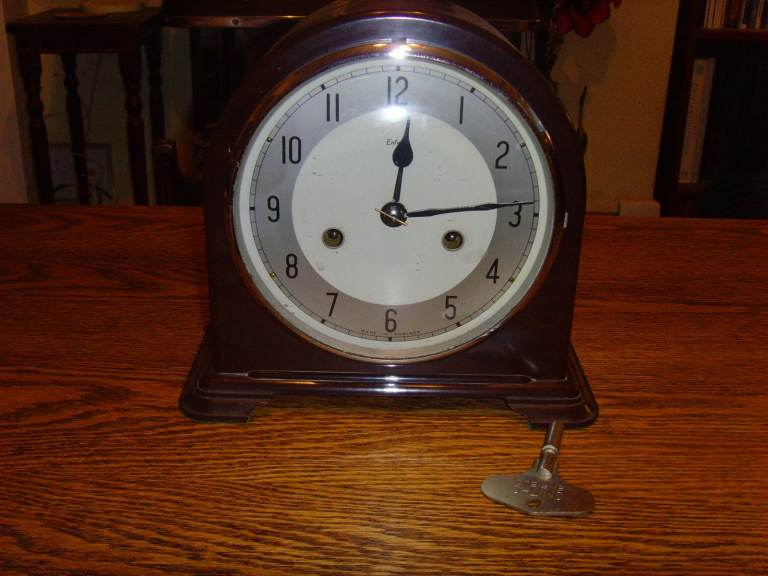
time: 12:14
